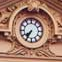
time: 7:35
